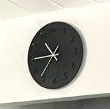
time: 10:45
